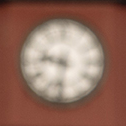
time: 9:32
